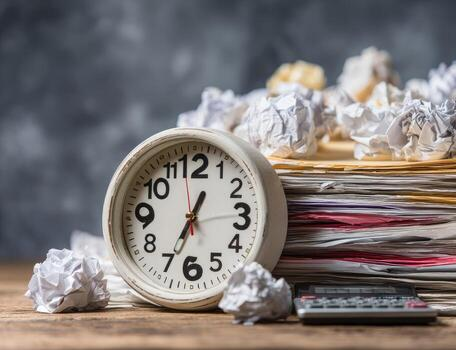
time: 6:34
